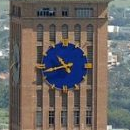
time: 10:42
